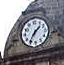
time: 1:36
